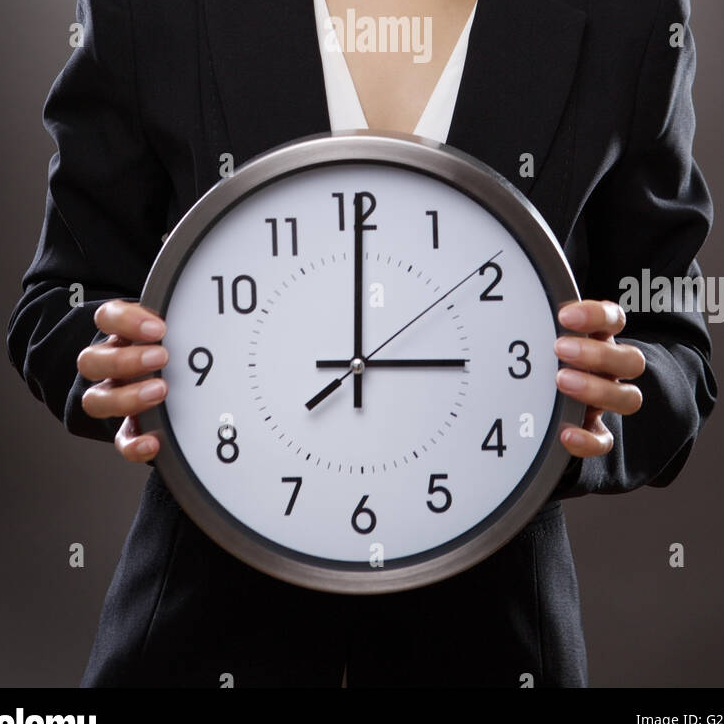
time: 3:00
